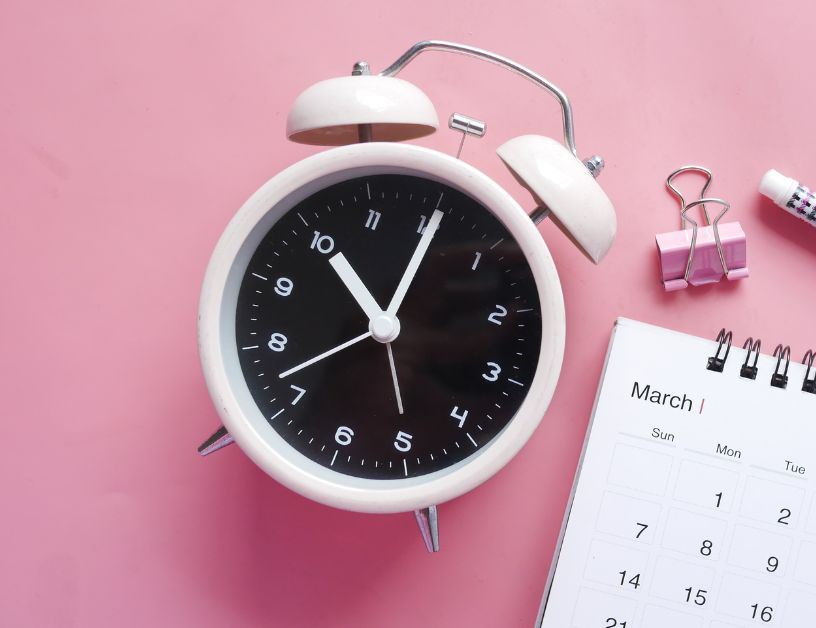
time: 11:05
